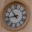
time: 10:43
